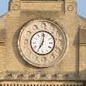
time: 7:01
